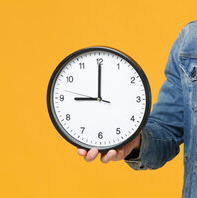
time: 8:59
